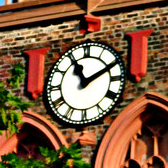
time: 11:10
